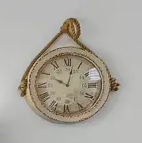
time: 10:02
